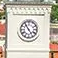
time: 4:54
